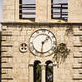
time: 1:31
